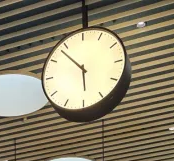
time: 5:53
